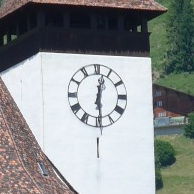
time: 12:28
